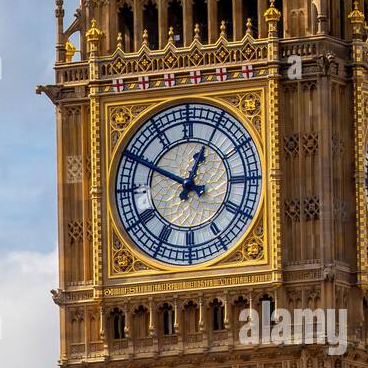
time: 12:49
